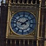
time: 1:47
